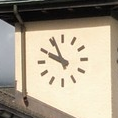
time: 9:56
